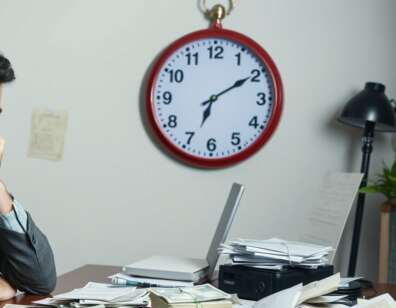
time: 7:09
